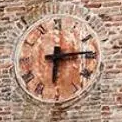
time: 6:14
